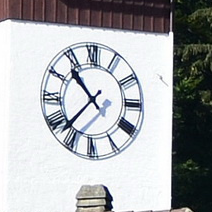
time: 10:37
